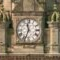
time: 11:33
